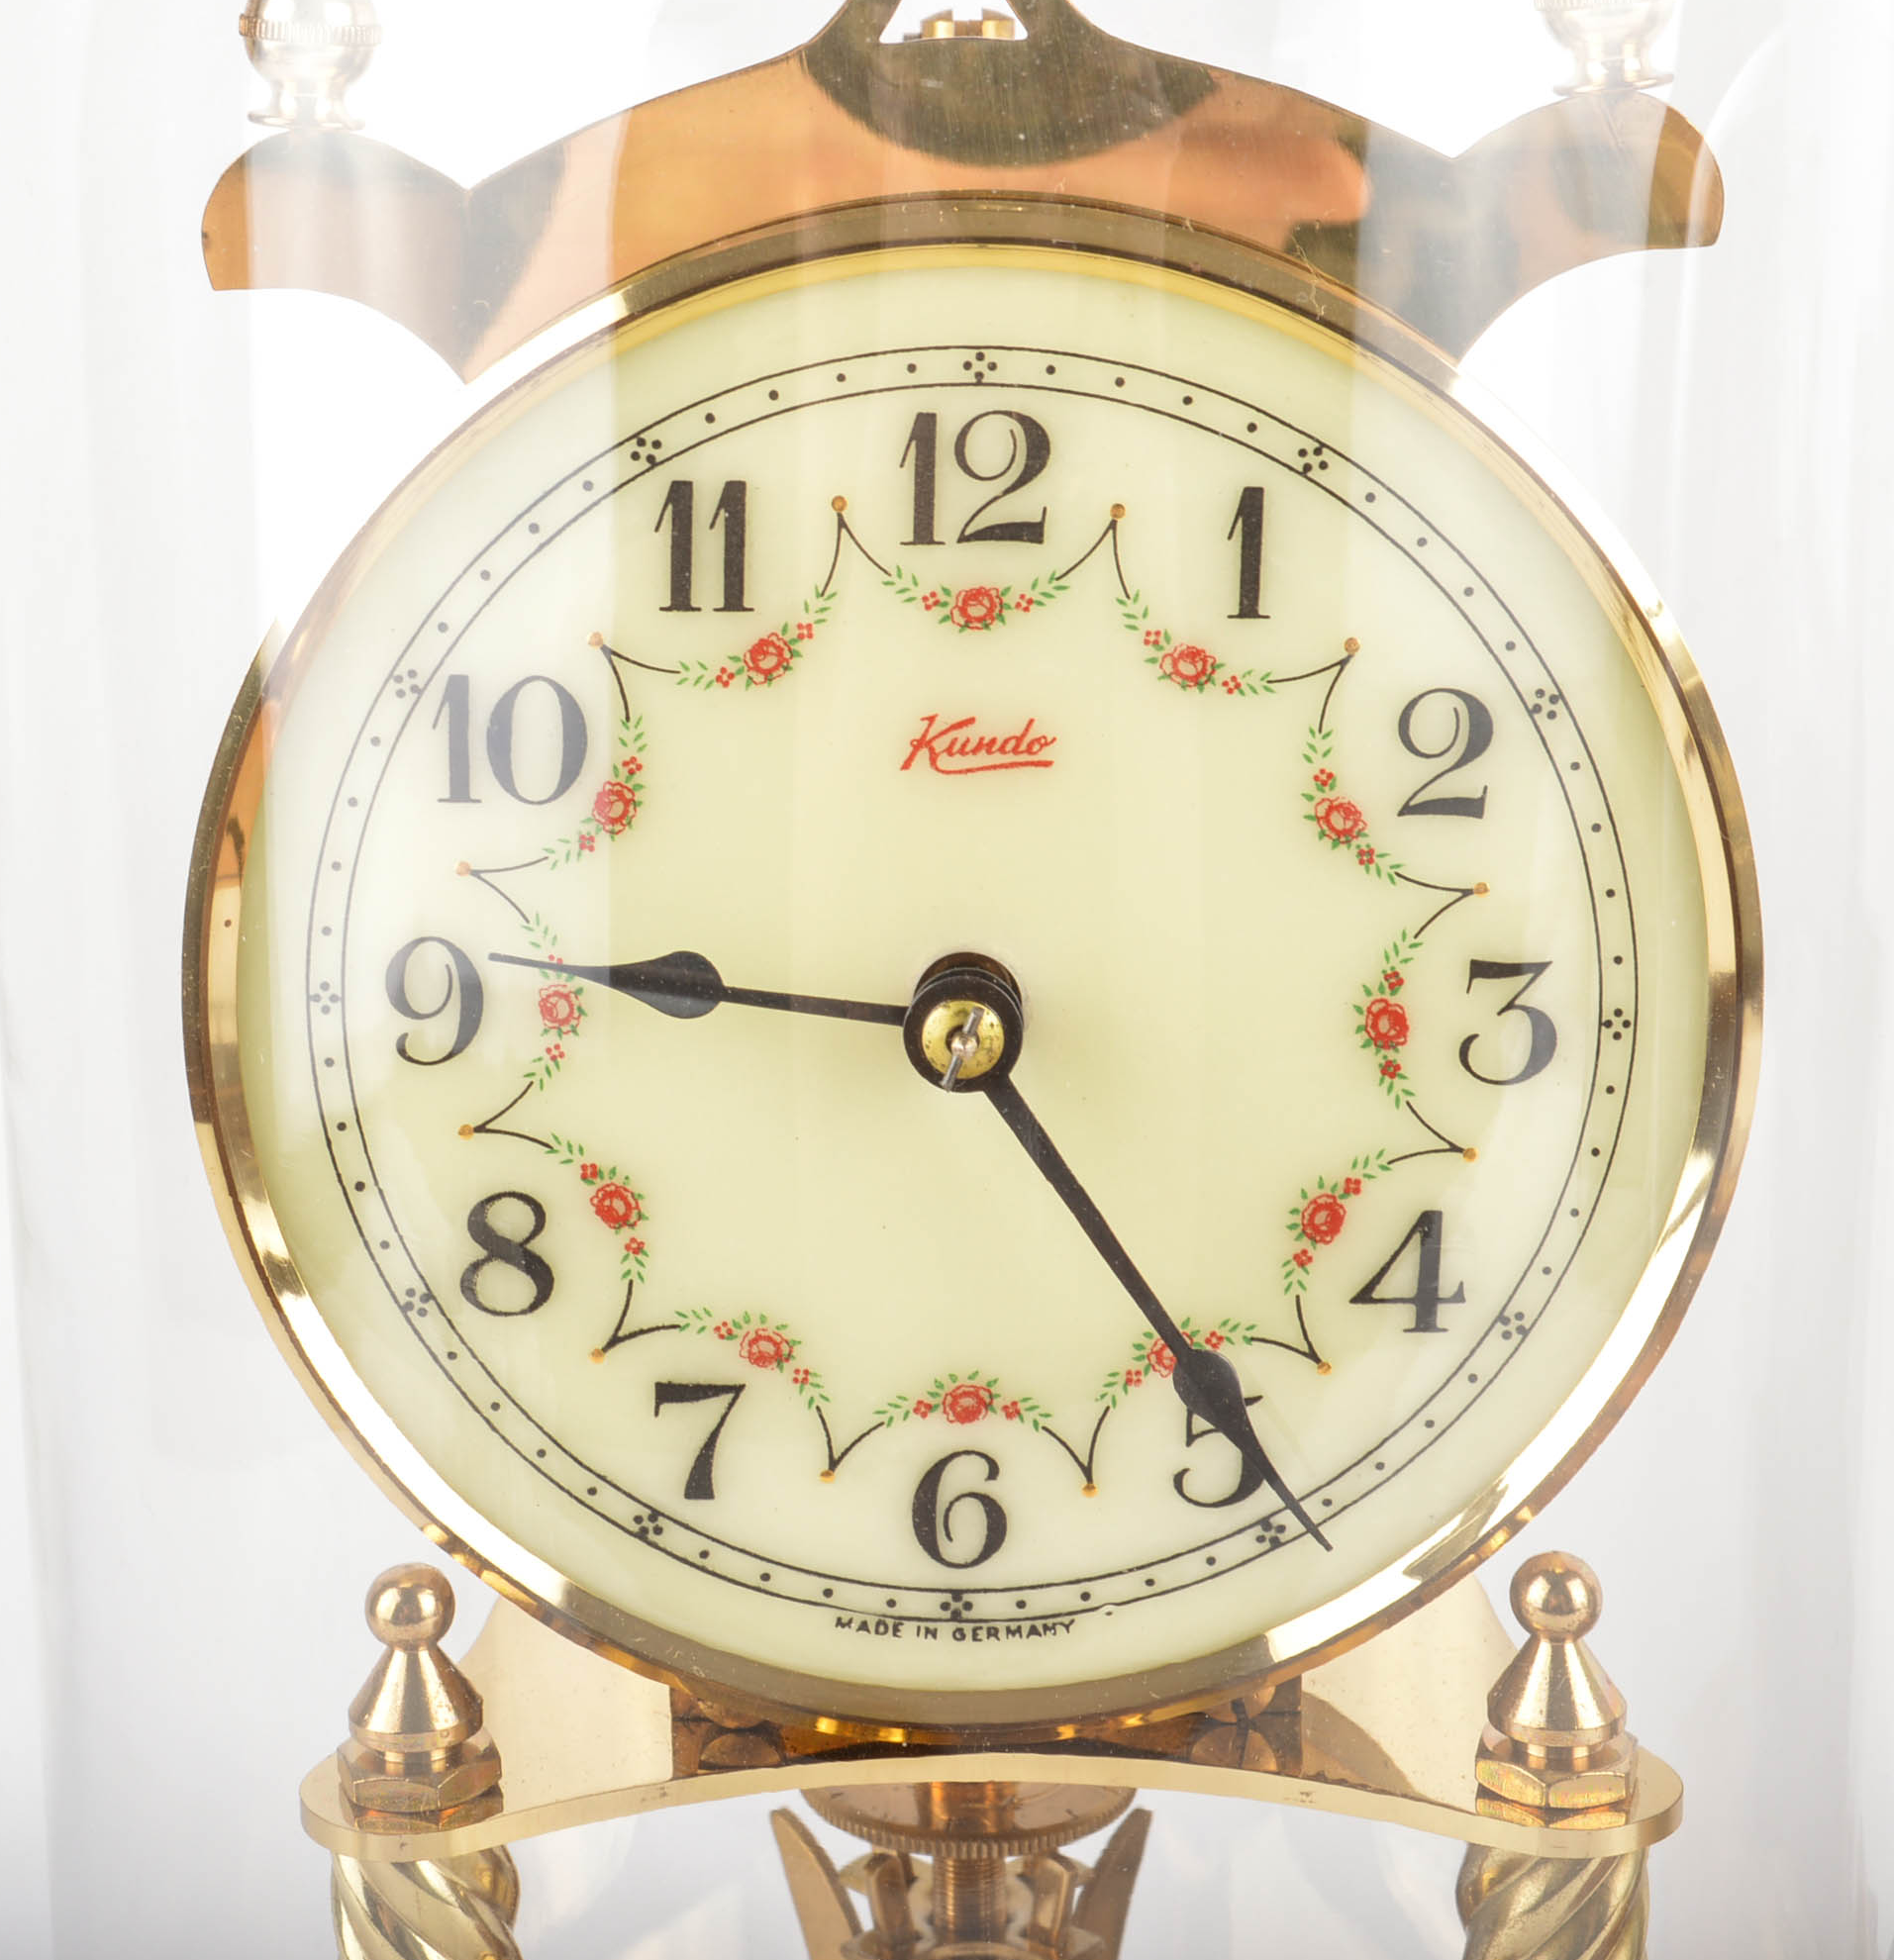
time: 9:24
